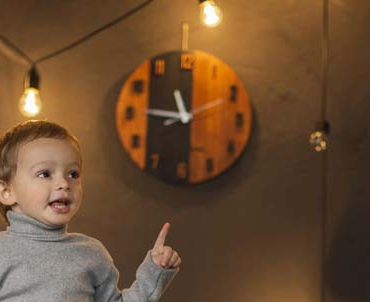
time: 11:46
